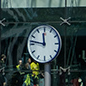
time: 11:46
